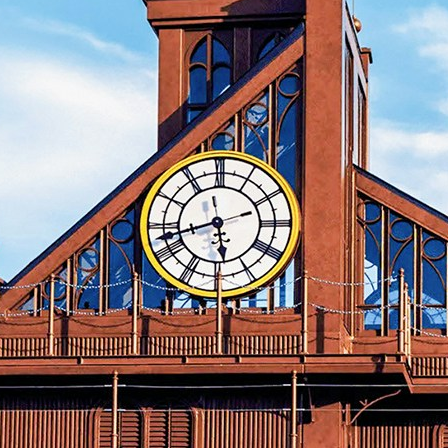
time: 5:42
